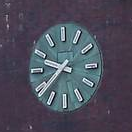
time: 9:38
